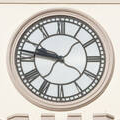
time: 9:46
